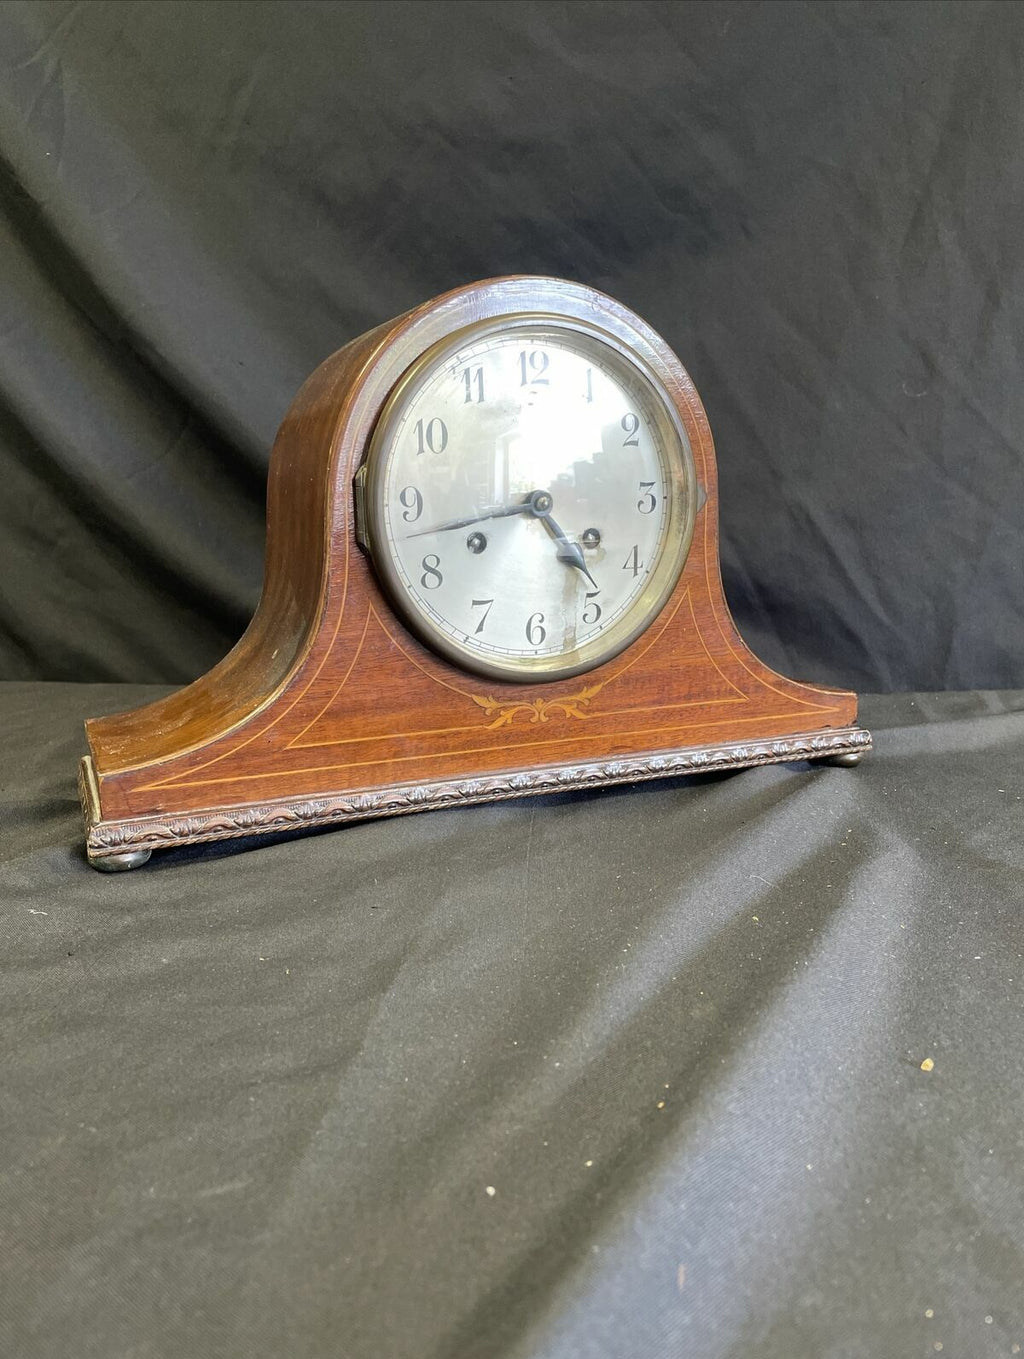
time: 4:42
